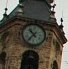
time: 10:36
